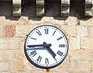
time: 4:44
